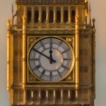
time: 11:49
